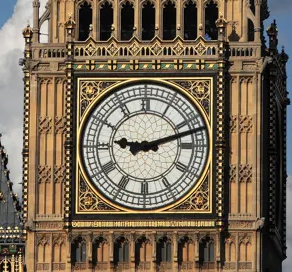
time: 9:12
